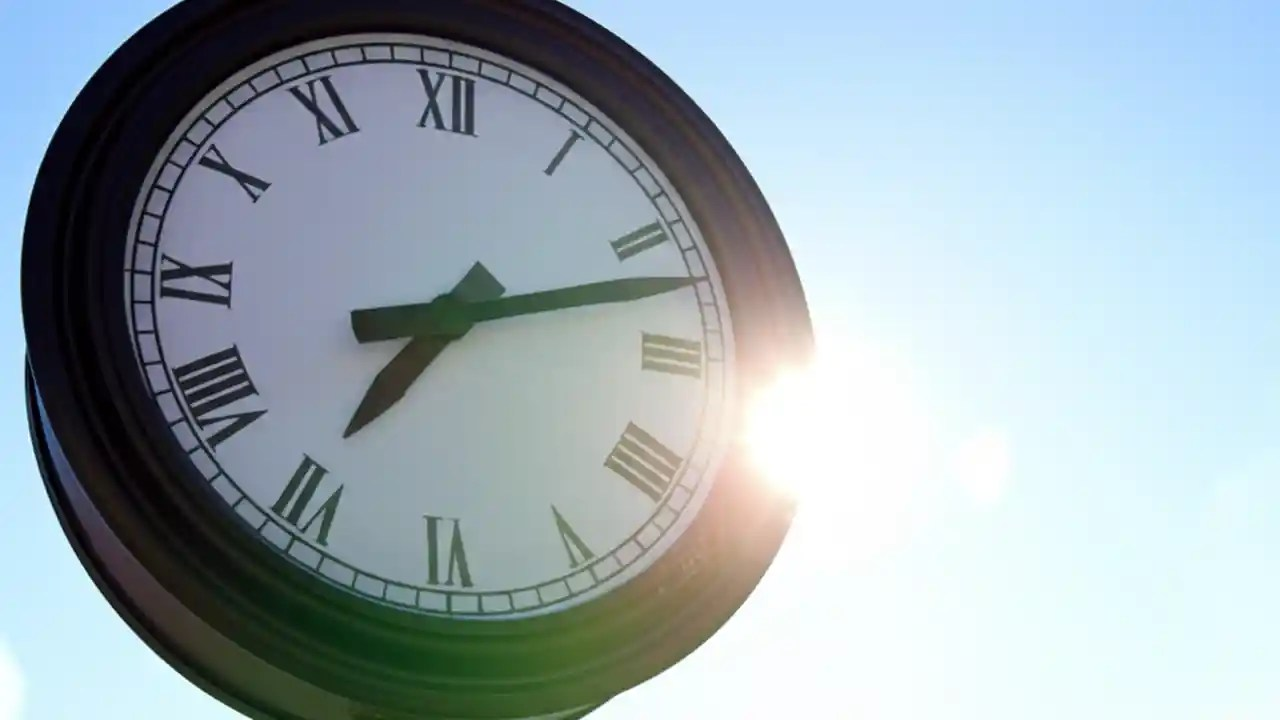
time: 7:12
